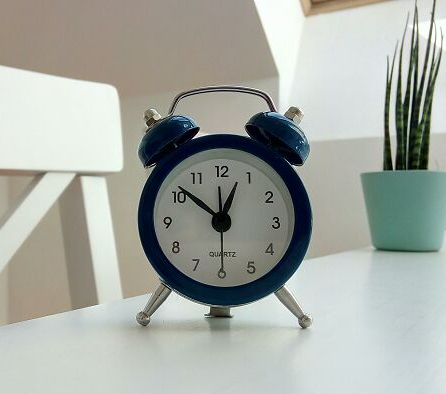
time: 12:51
